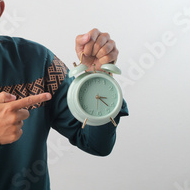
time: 3:22
